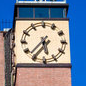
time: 5:36
